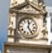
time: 12:24
